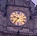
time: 9:36
